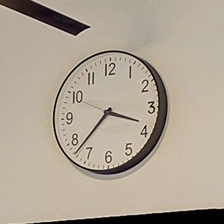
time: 3:37
